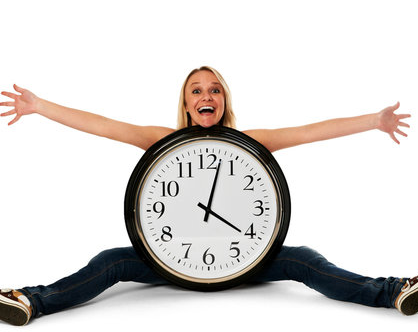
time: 4:02
